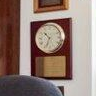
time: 10:34
